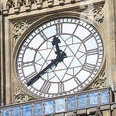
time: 11:38
